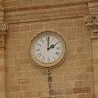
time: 2:01
